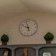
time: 9:57
